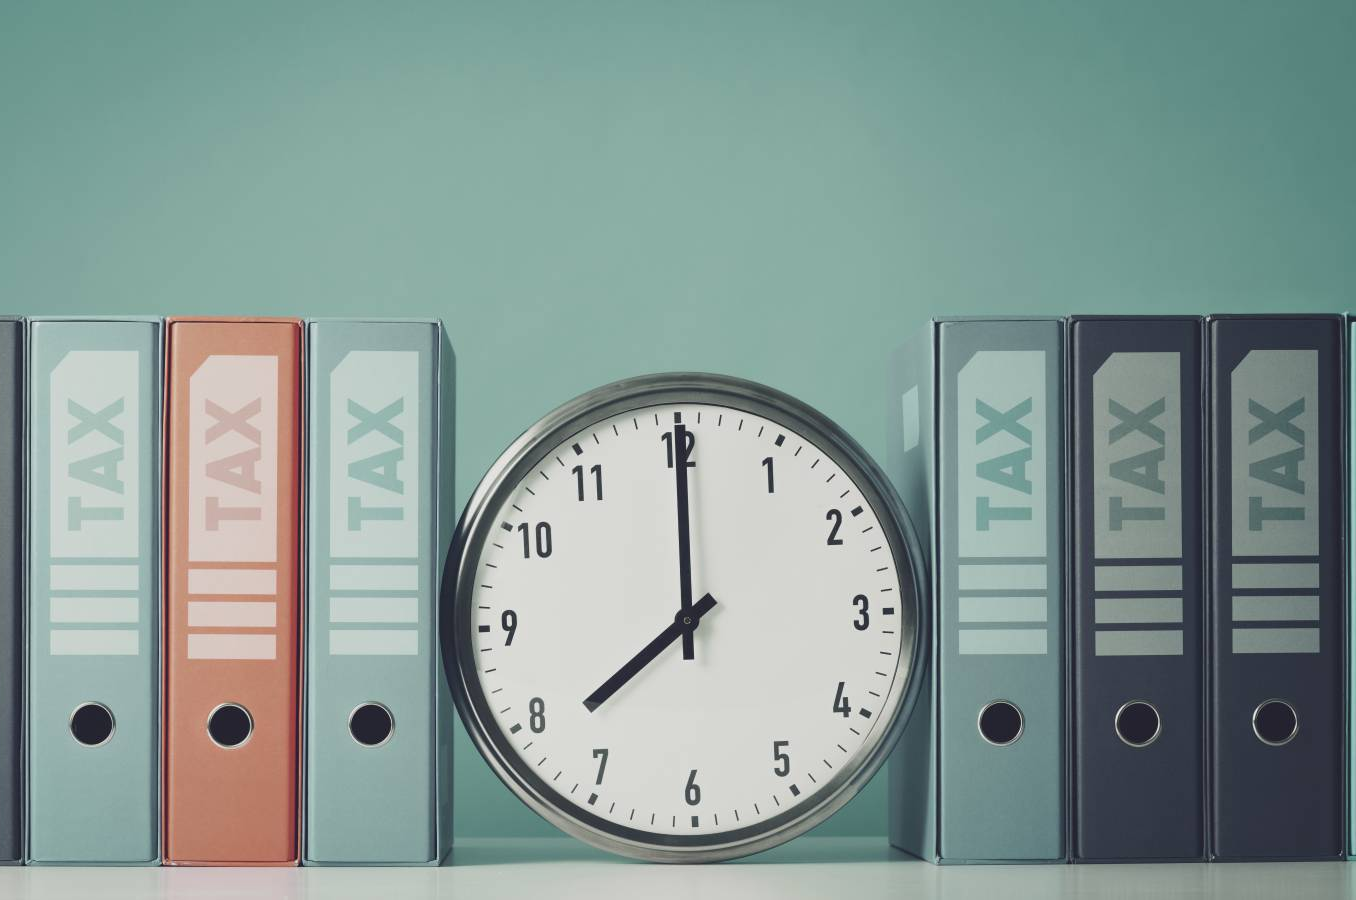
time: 8:00
